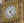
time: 1:24
